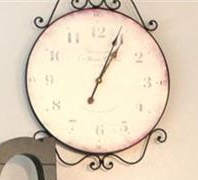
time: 1:04
